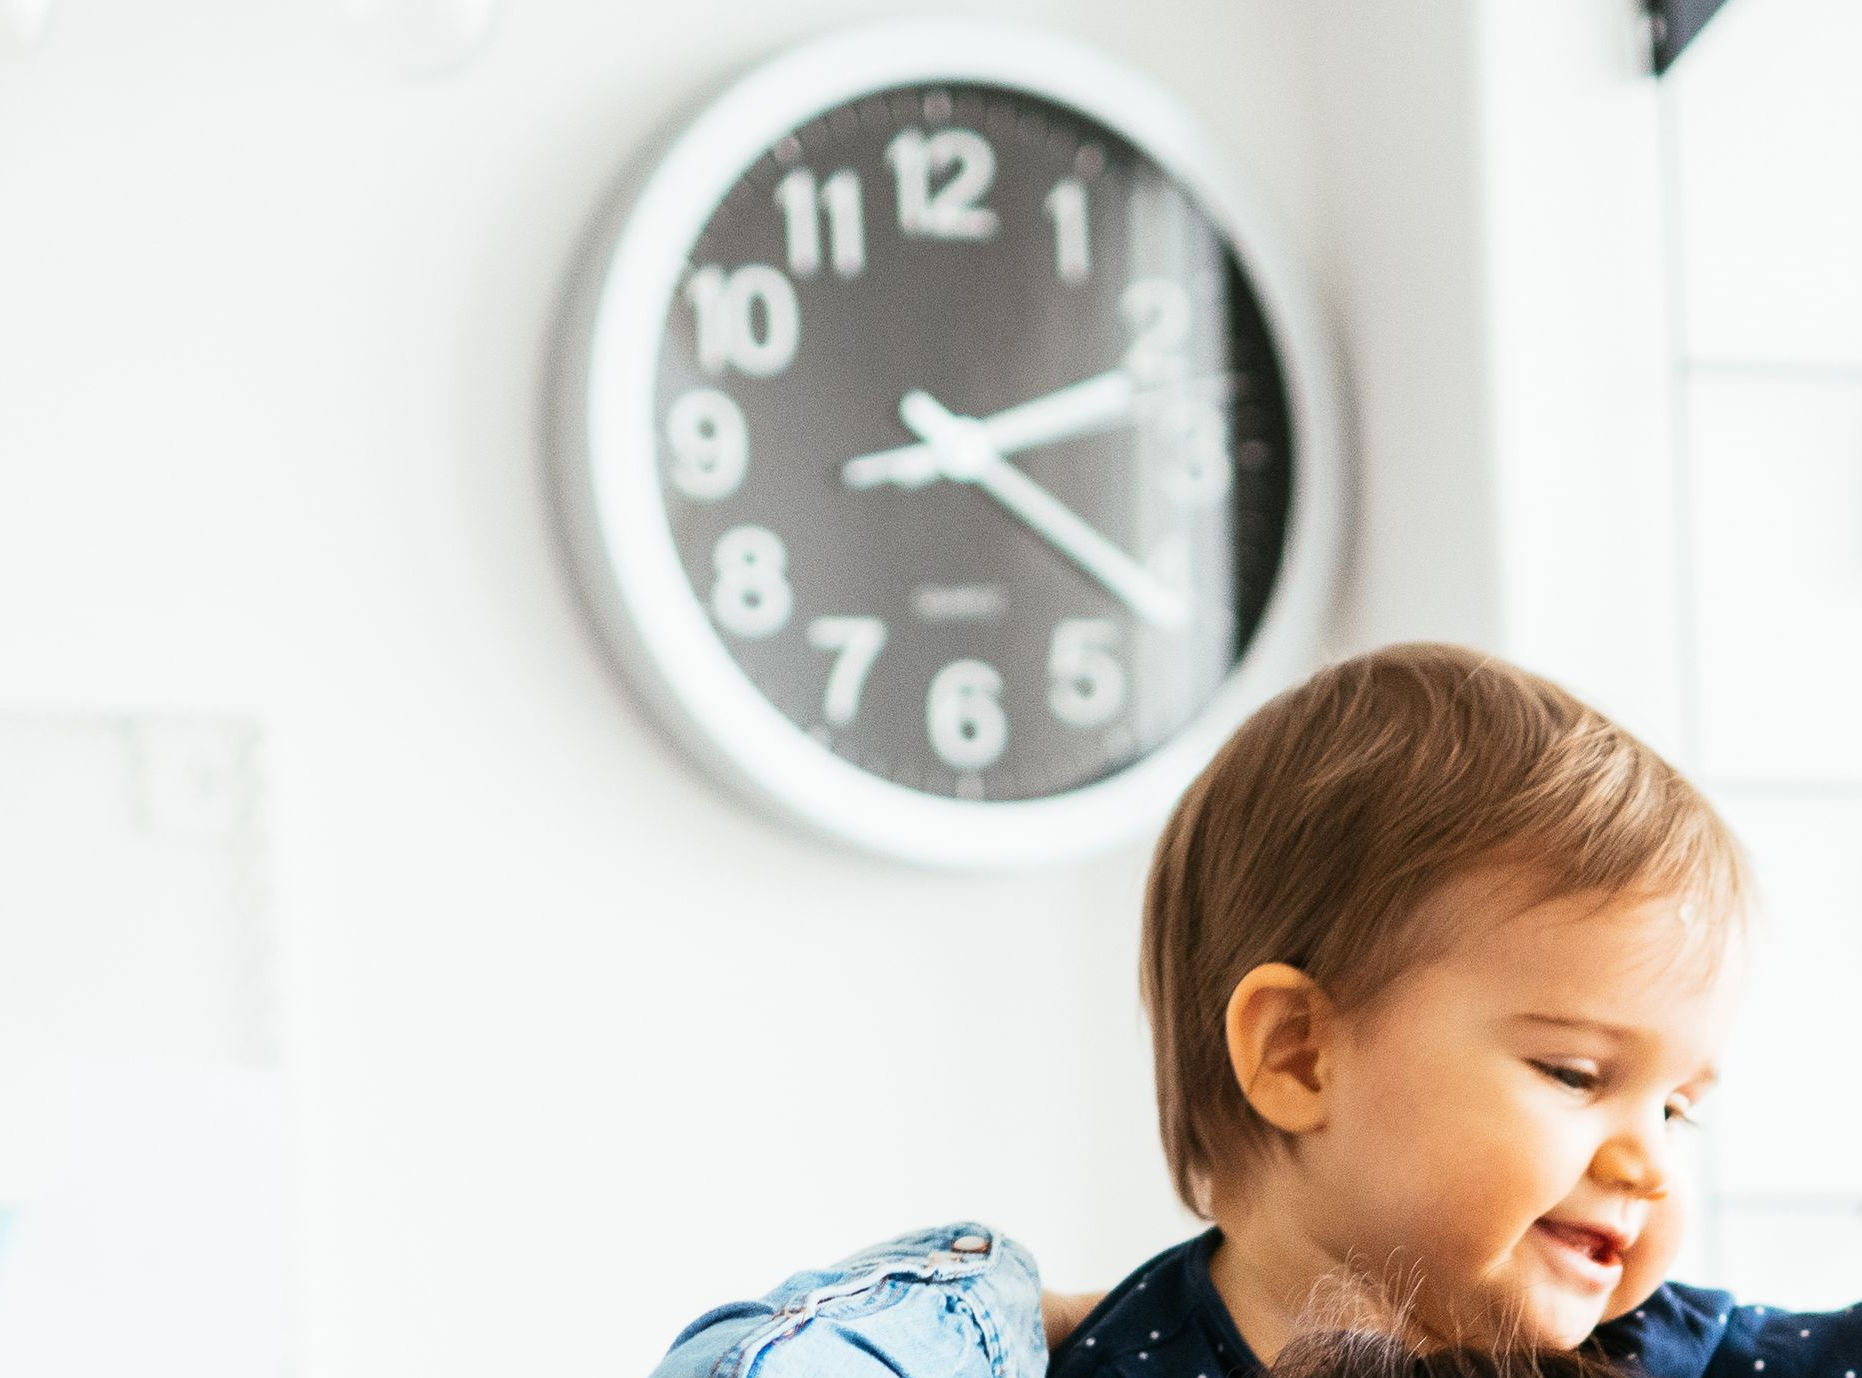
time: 2:21
